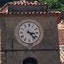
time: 3:22
